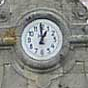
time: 12:59
